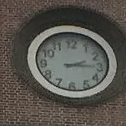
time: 2:14
